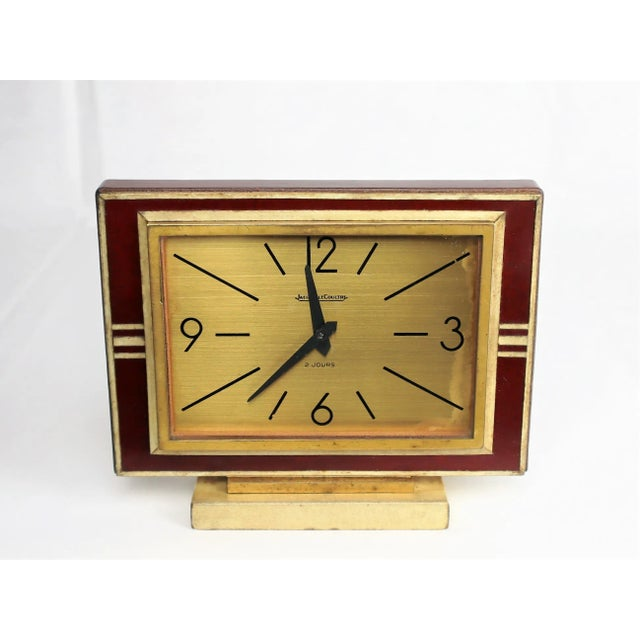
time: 6:59
